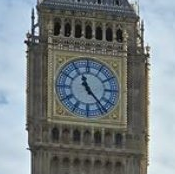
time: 11:23
